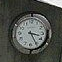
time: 3:24
